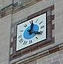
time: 12:20
